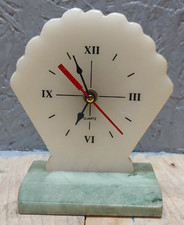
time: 6:55
